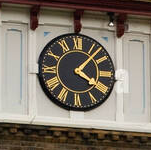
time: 4:07
